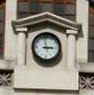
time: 2:58
